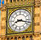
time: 8:17
